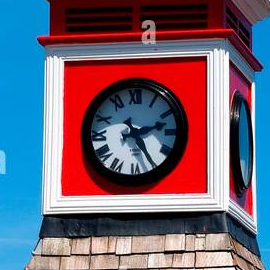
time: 2:25
